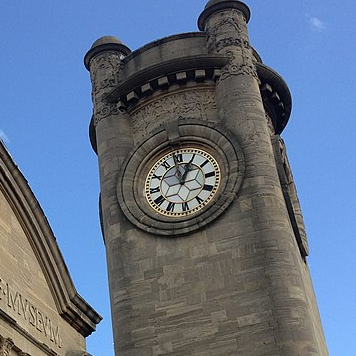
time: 12:58
